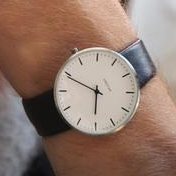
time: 5:49
